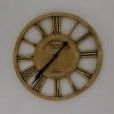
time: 1:36
